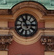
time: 11:13
